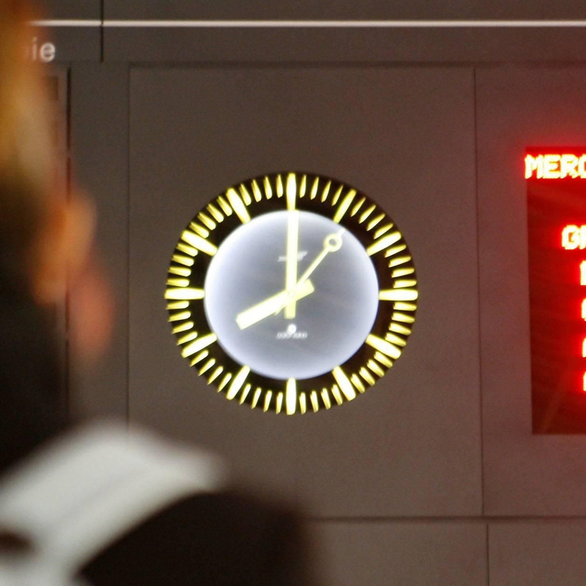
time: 8:00
